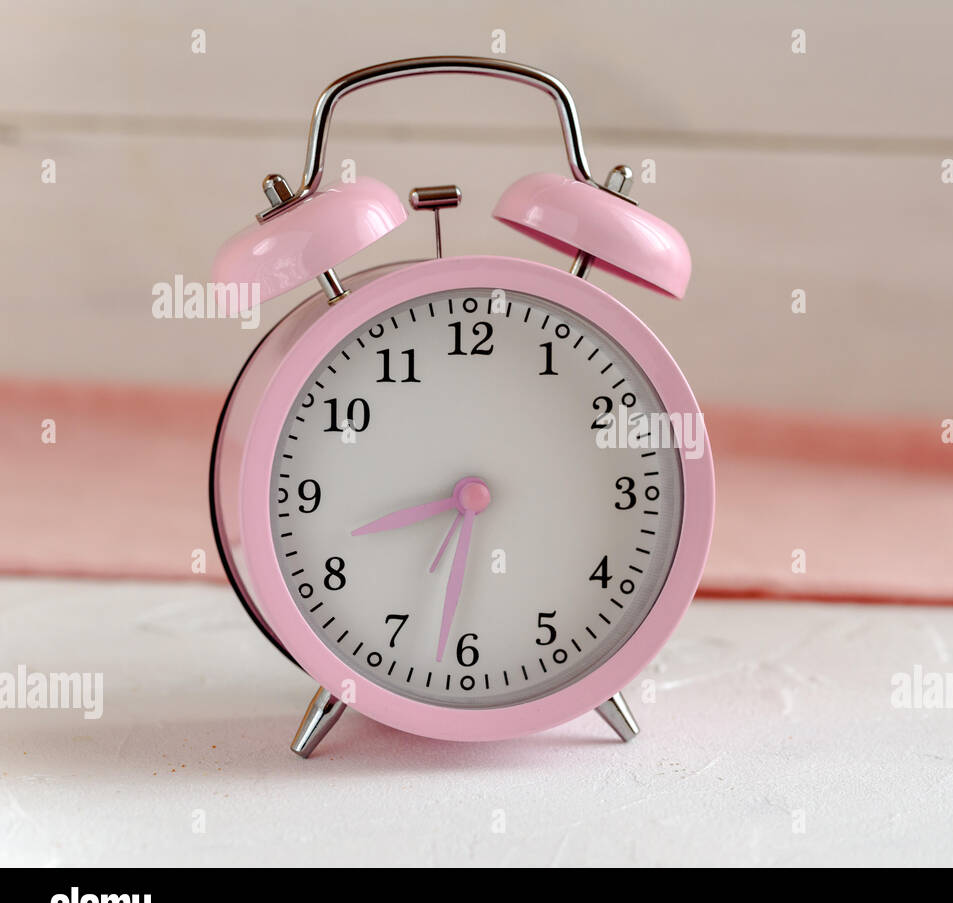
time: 8:31
